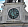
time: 5:00
